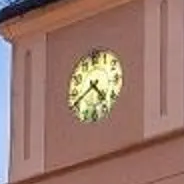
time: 4:40
